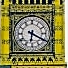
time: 6:20
